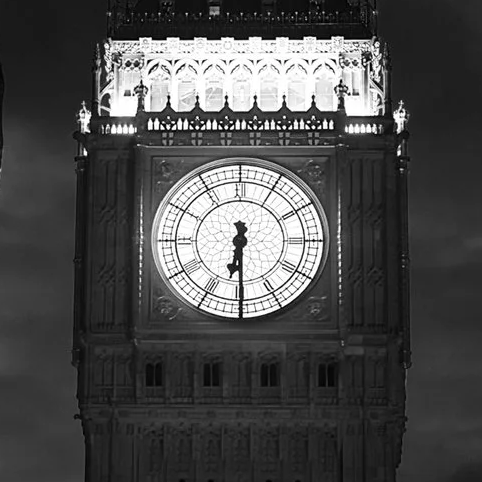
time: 6:29
